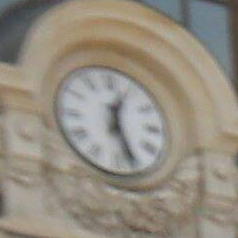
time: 12:26
